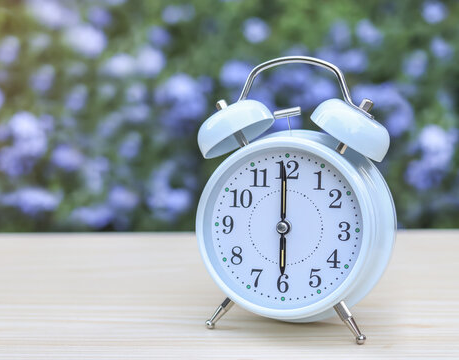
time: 5:59
